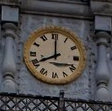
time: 8:00
